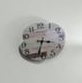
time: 3:33
